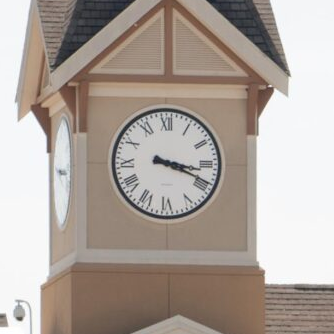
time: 3:18
